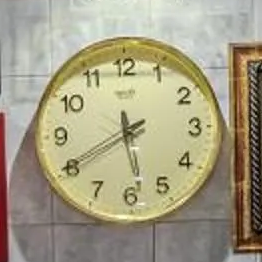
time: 5:40
